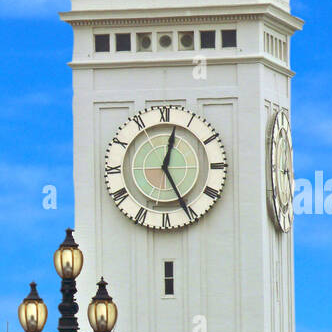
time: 12:25
